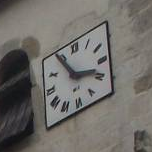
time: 3:54
